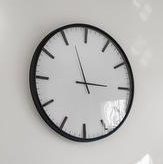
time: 2:56
